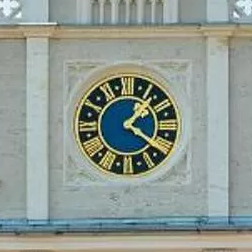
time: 1:20
